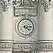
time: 4:13
